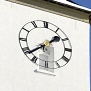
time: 1:38
